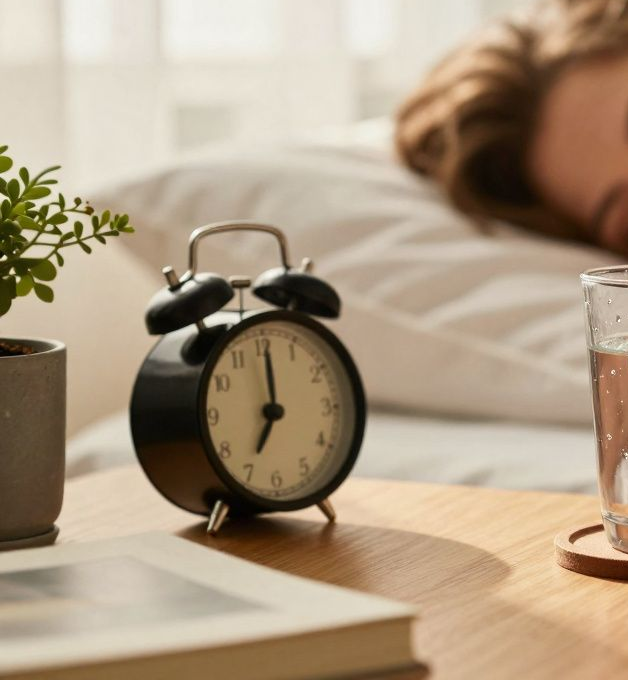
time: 7:00
